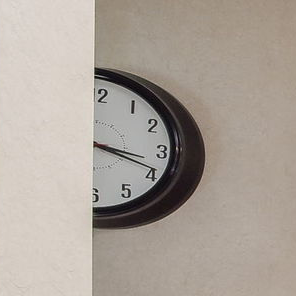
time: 3:18
